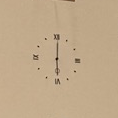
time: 6:00
